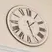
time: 1:26
